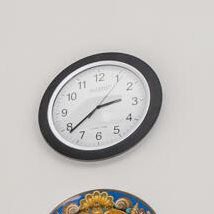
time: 2:38
